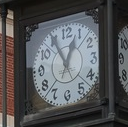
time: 12:55
